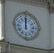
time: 12:00
